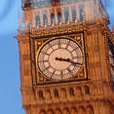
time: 3:18
